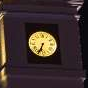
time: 6:34
